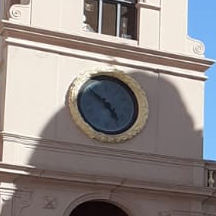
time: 4:51
